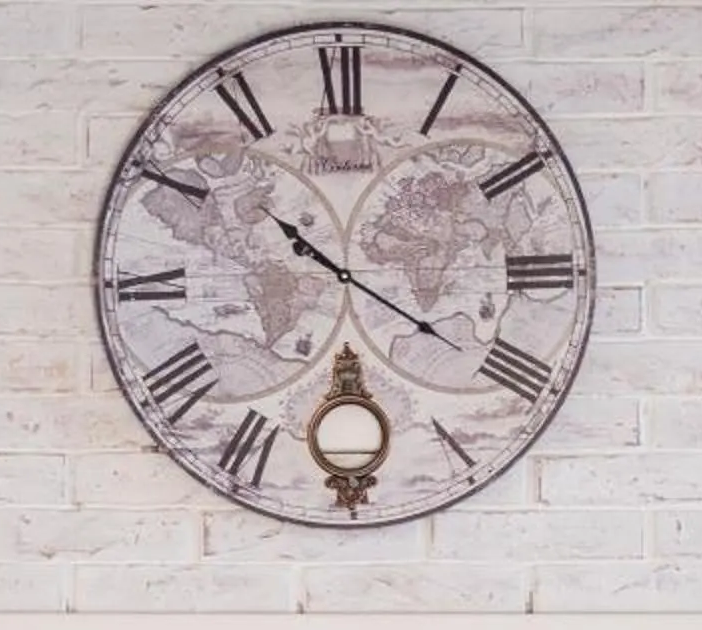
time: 10:20
